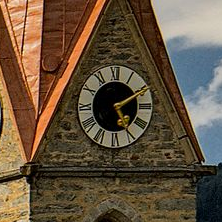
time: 5:10
